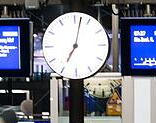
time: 7:02
